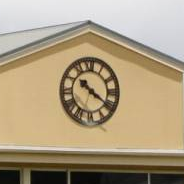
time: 10:20
